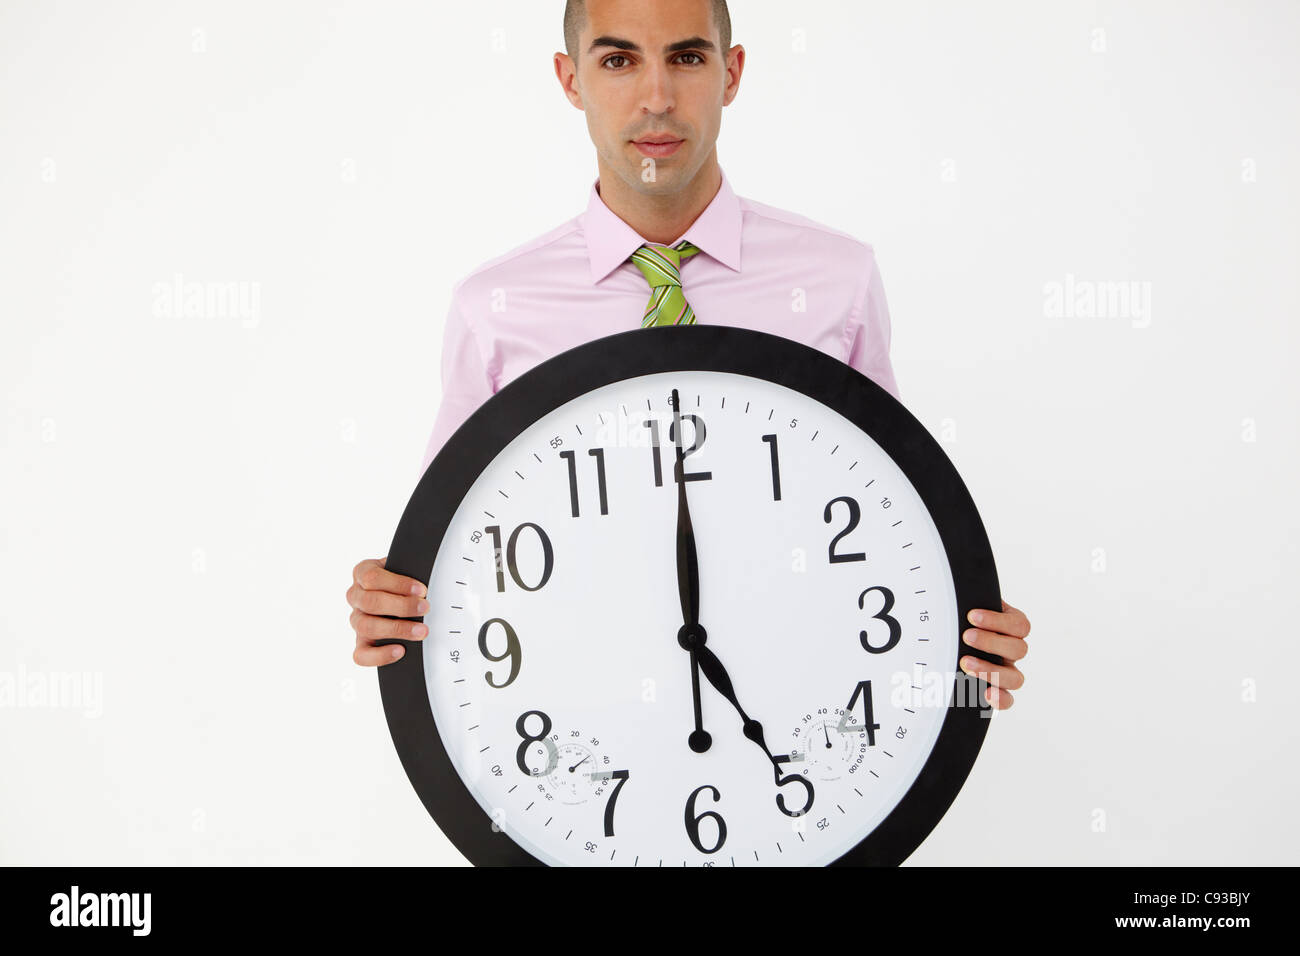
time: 5:00
